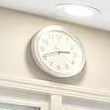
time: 2:41
